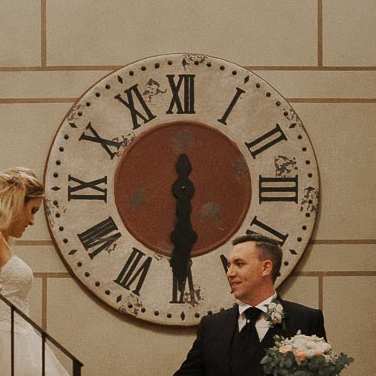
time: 6:30
